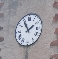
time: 1:54
